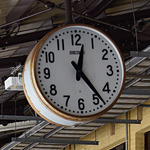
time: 12:23
